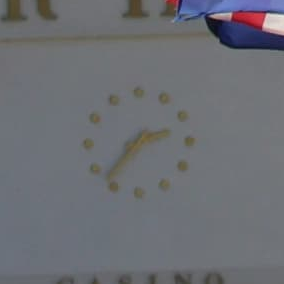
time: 2:36
